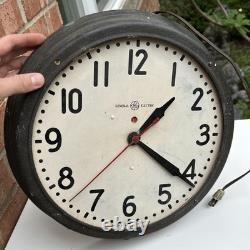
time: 1:21
